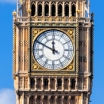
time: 11:49
